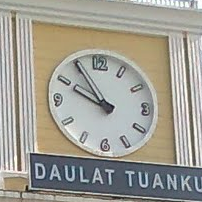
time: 9:54
